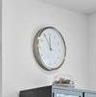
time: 11:55
